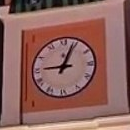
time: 9:03
